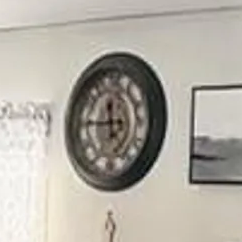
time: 11:45
